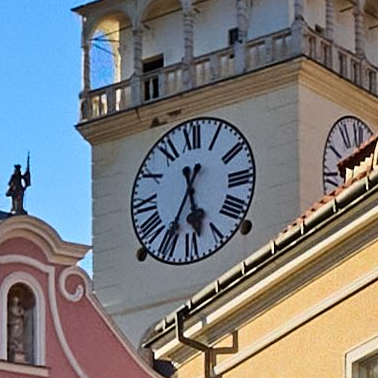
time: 5:34
